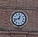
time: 12:42
